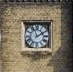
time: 1:56
